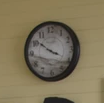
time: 3:51
